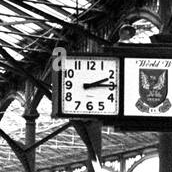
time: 2:14
